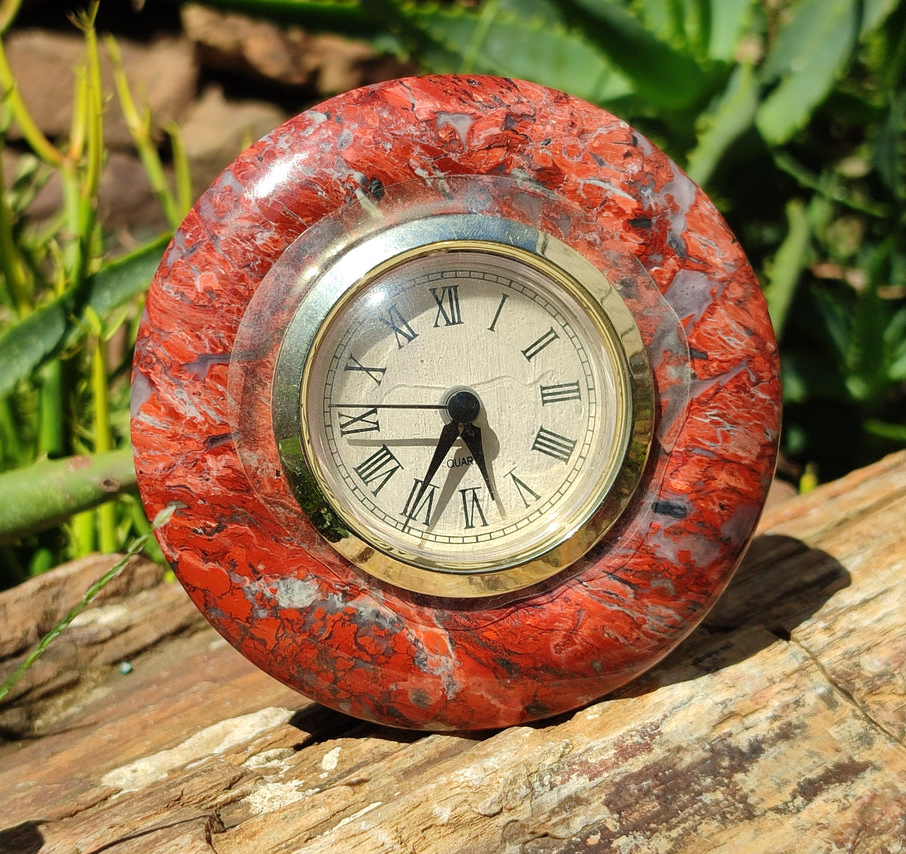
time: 5:34
